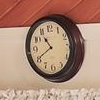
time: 10:40
